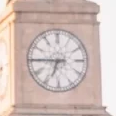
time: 6:45
